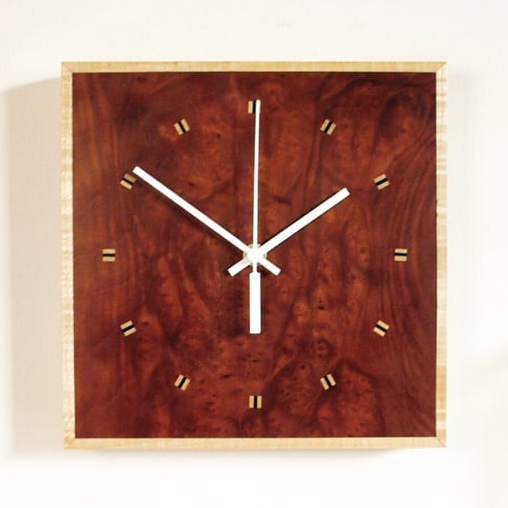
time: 1:50
